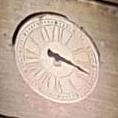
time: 3:17
